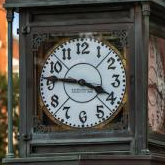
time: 3:46
